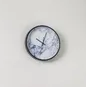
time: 12:32
